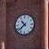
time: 10:38
